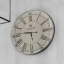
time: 5:45
